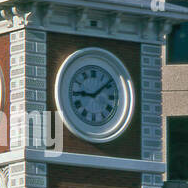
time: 9:08
